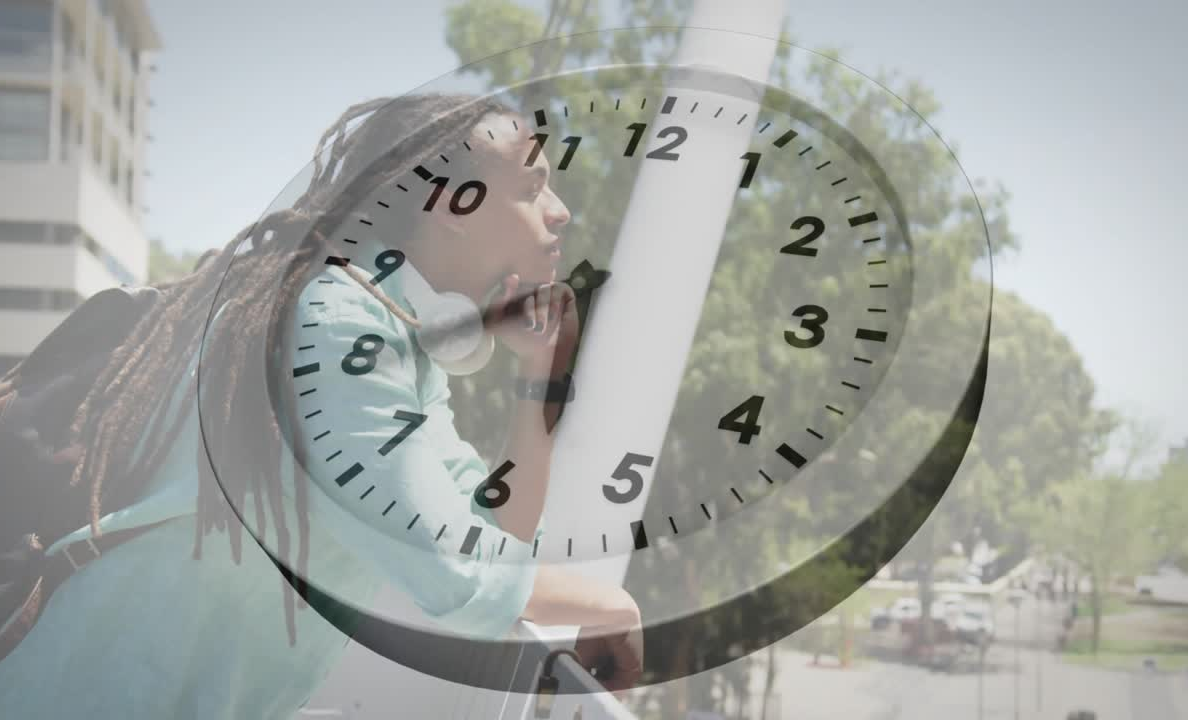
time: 5:40
